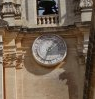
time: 1:33
